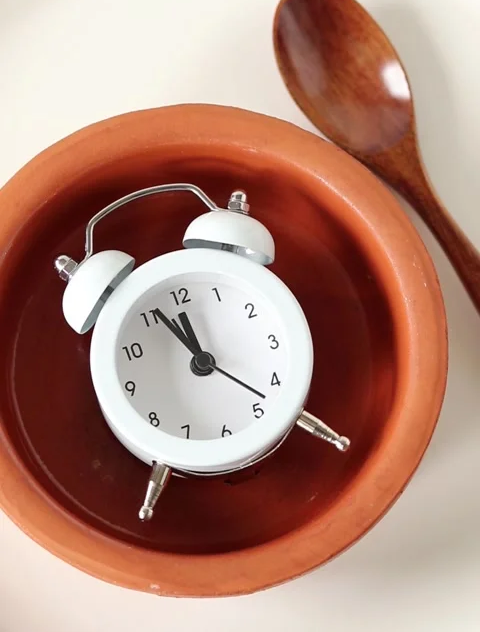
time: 11:56
